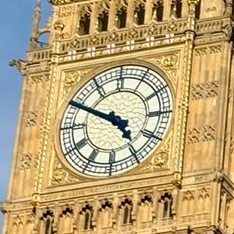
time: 4:49
